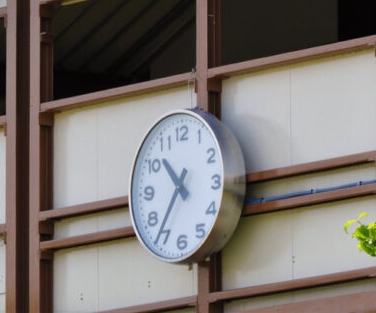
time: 10:36
